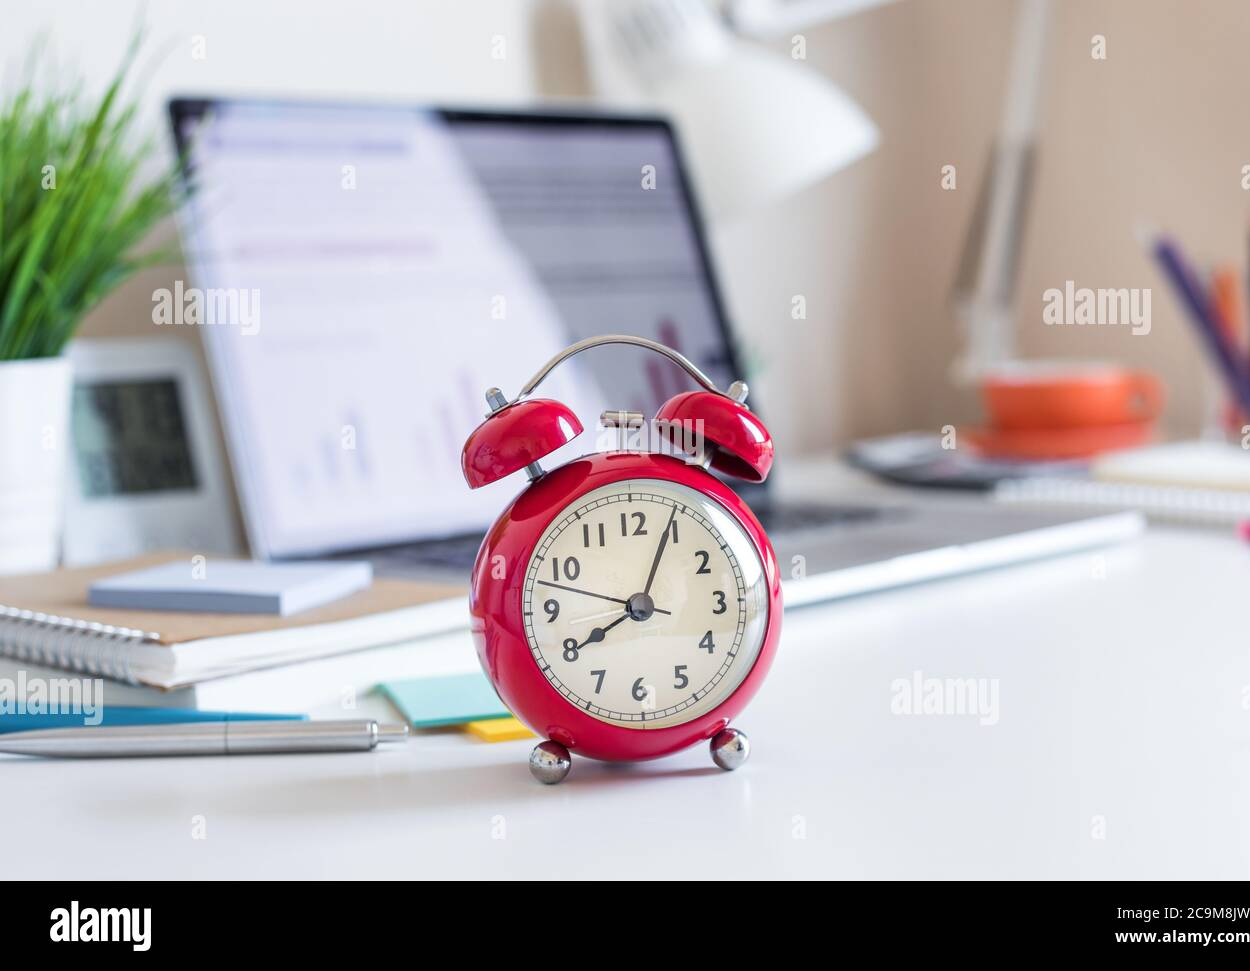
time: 8:04
